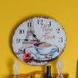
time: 10:45
